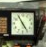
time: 4:54
